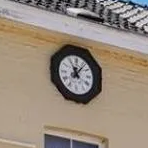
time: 11:06
